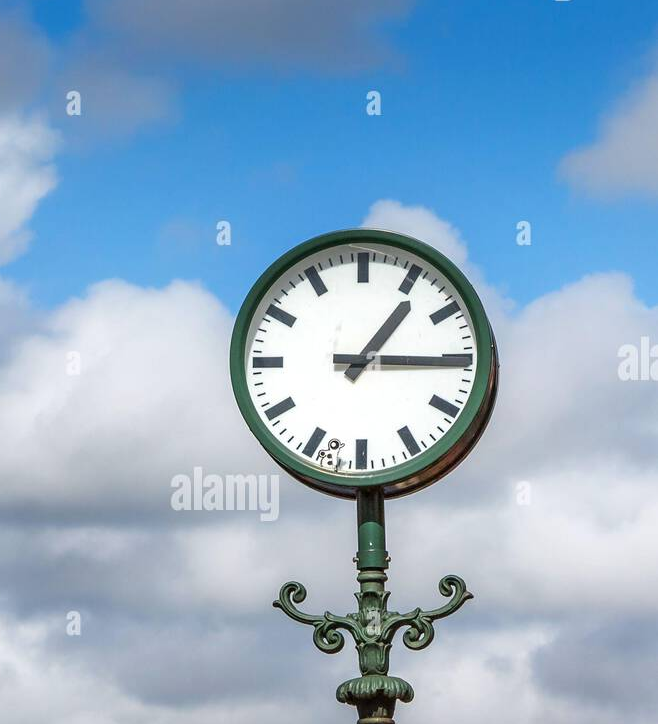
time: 1:15
